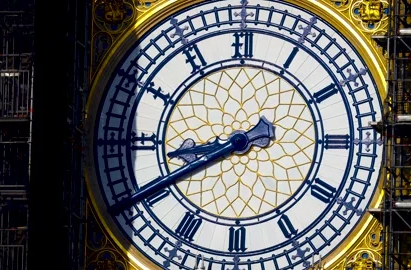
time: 8:40
